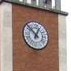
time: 12:52
